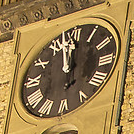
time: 11:57
